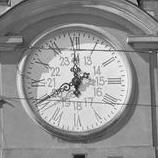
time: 7:59
